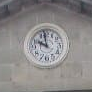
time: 9:58
